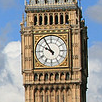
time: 9:54
